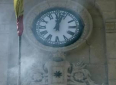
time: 12:02
